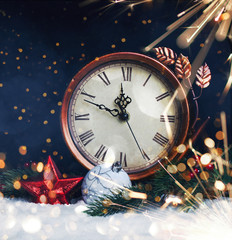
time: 11:48
